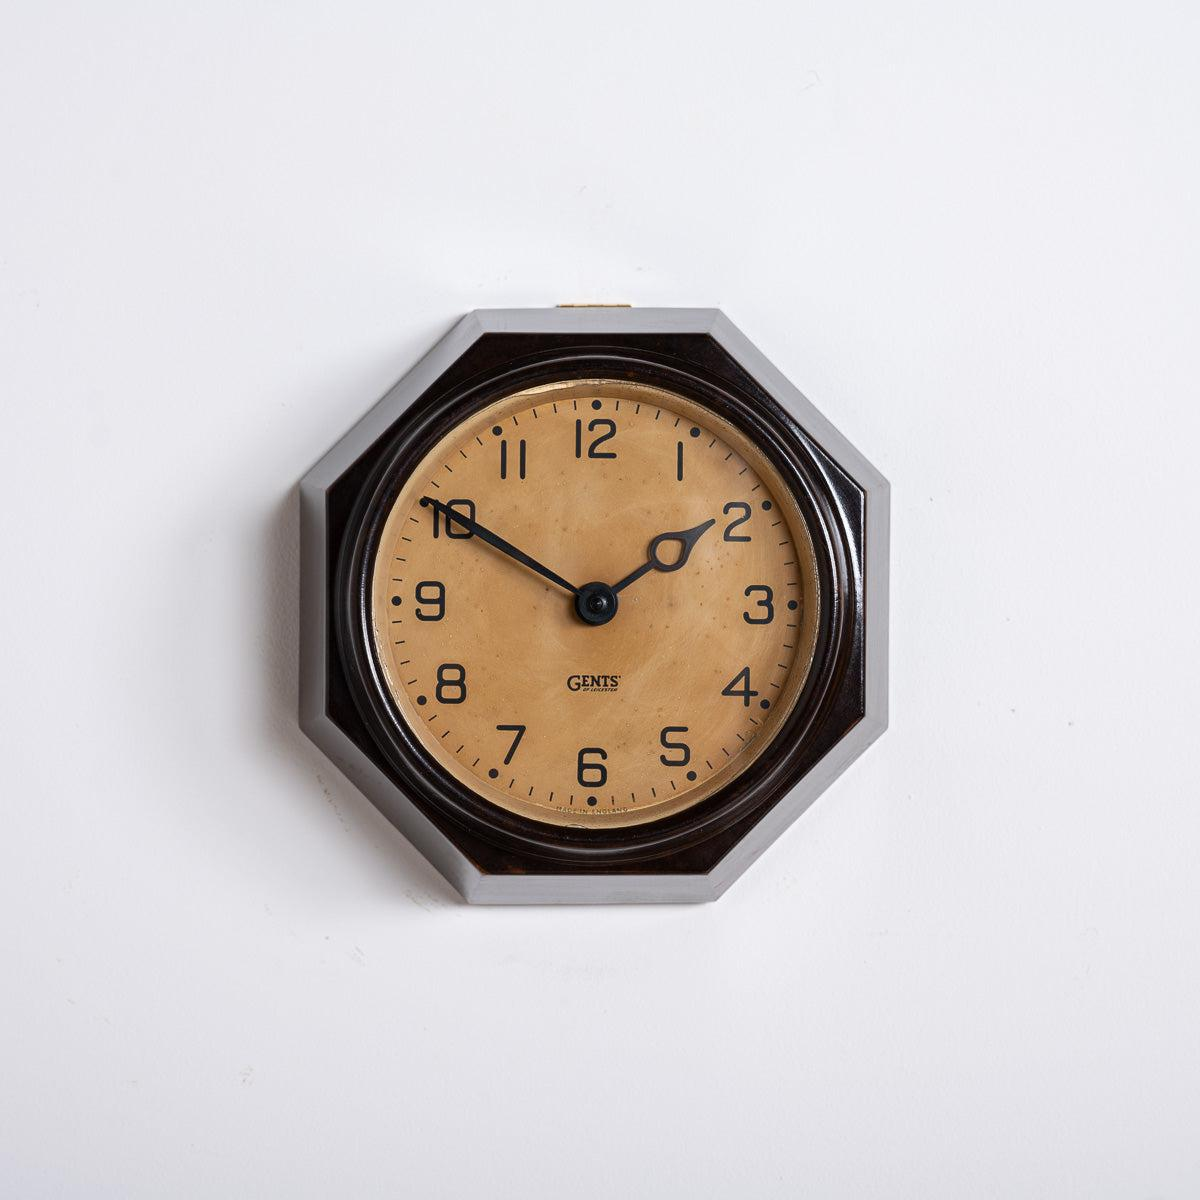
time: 1:50
